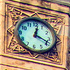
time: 12:18
